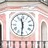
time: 11:31
